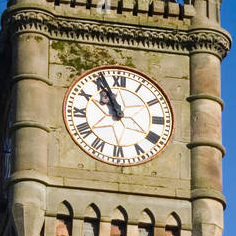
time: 10:56
